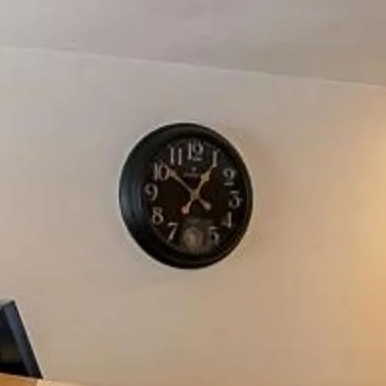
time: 12:51
